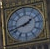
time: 1:42
